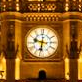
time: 9:32
